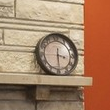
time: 3:29
